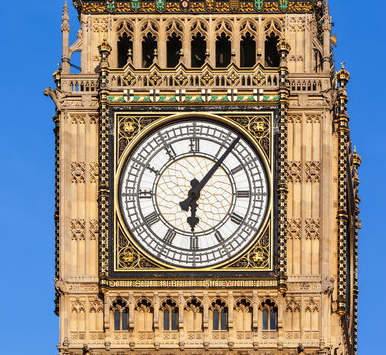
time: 6:06
